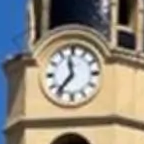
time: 11:36
